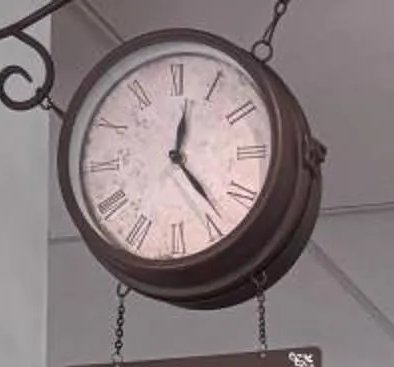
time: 12:23
